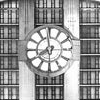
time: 7:58
